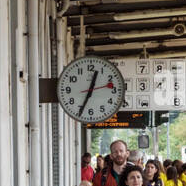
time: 12:34
